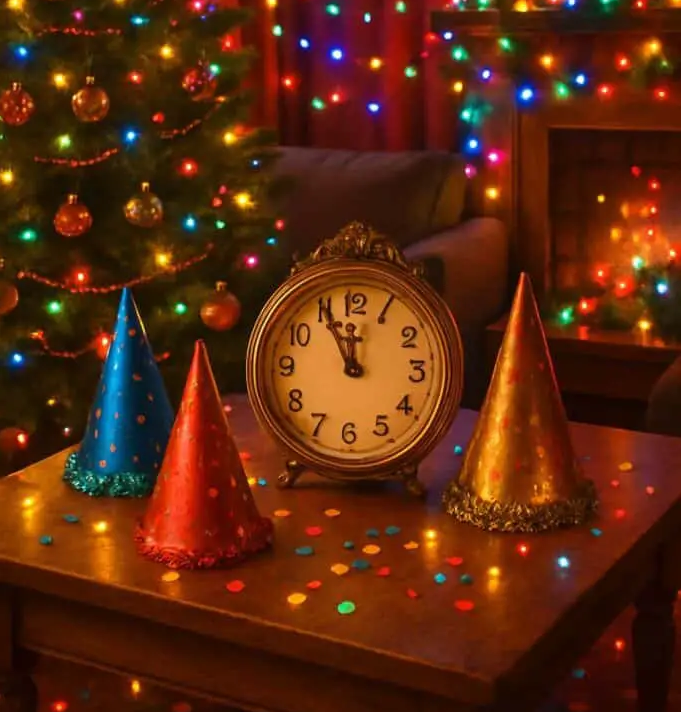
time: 11:55
